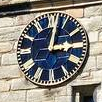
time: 3:01
